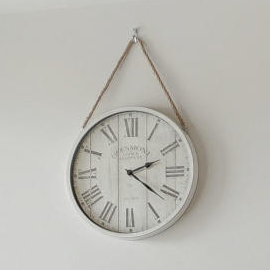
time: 2:21
